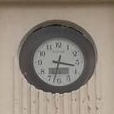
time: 3:32
